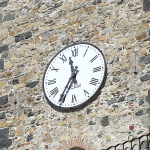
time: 11:35
